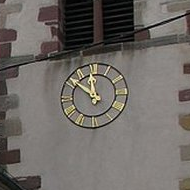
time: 11:51
